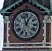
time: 12:57
